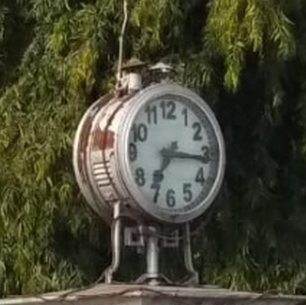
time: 7:16
